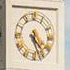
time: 4:26
